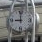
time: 8:59
